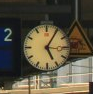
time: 5:05
